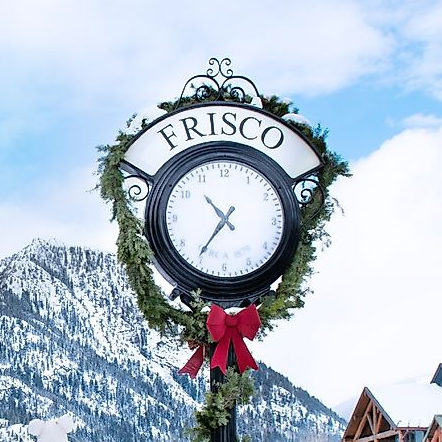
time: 10:35
